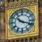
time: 10:18
